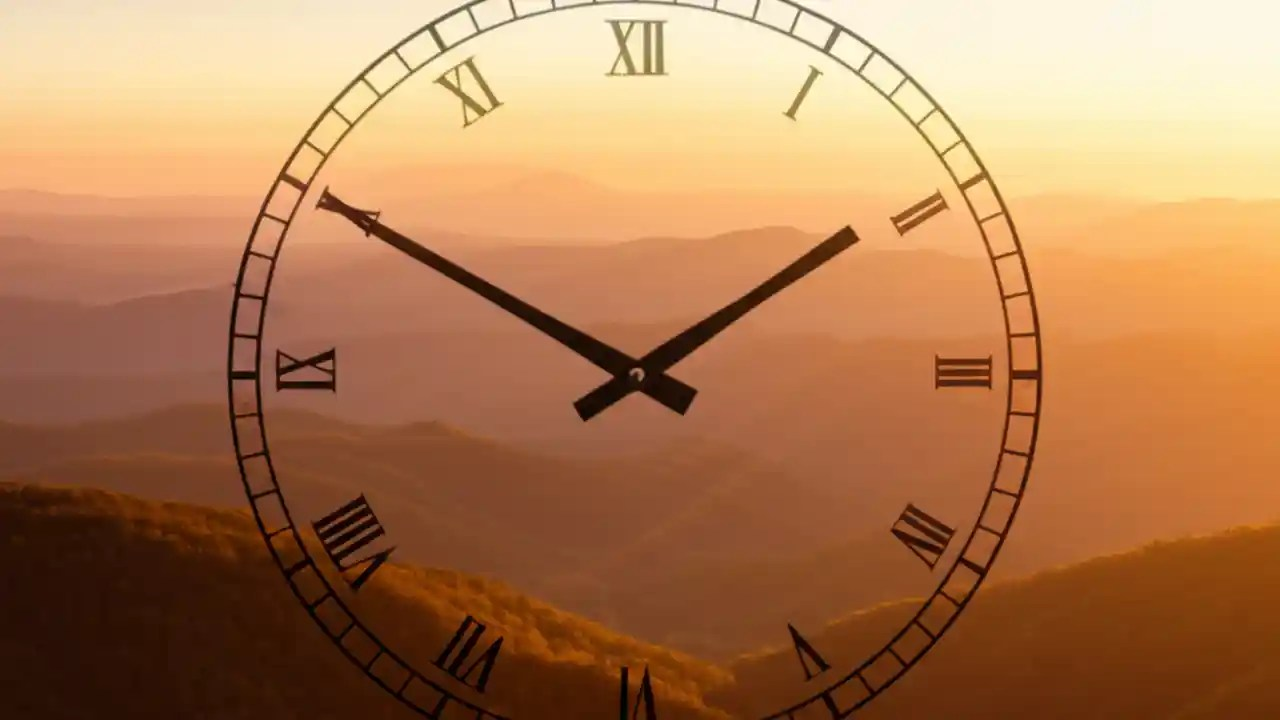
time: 1:50
